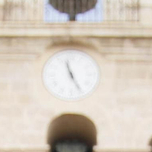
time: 11:25
